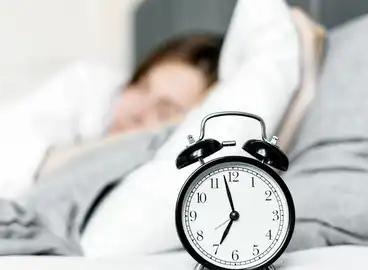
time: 6:57
